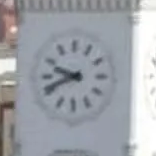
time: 9:41
